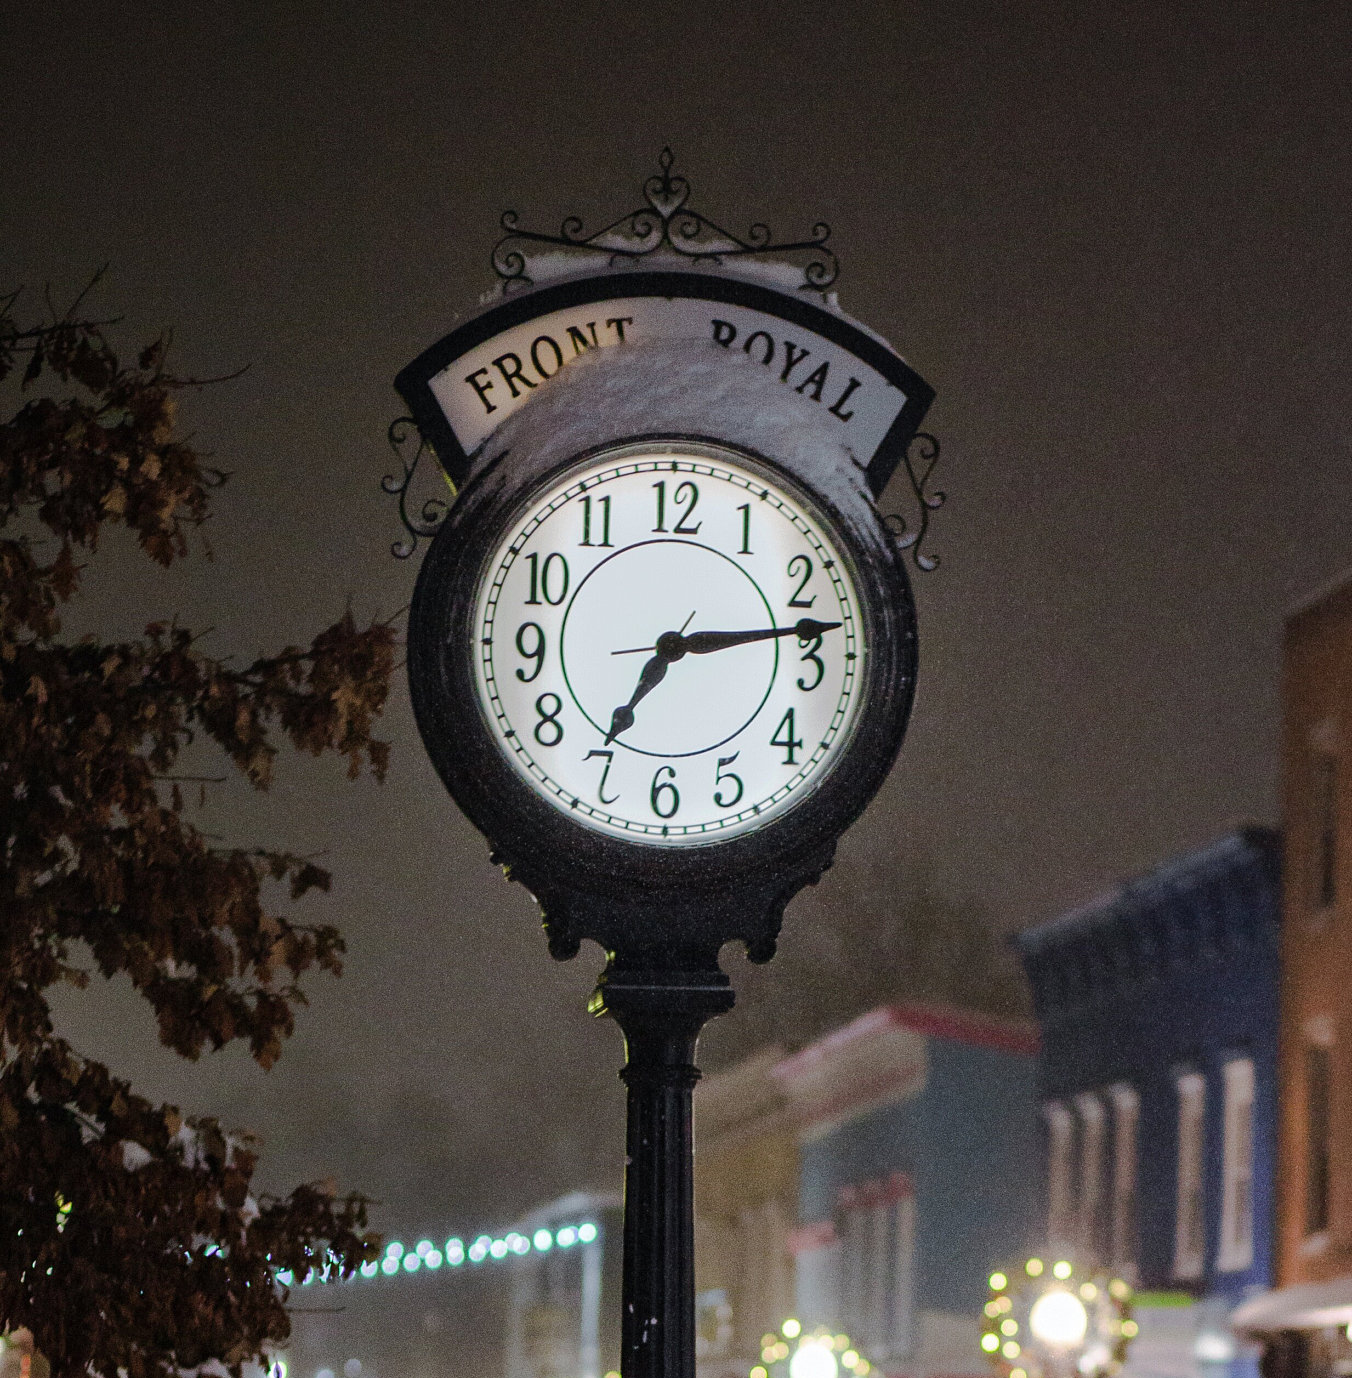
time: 7:13
